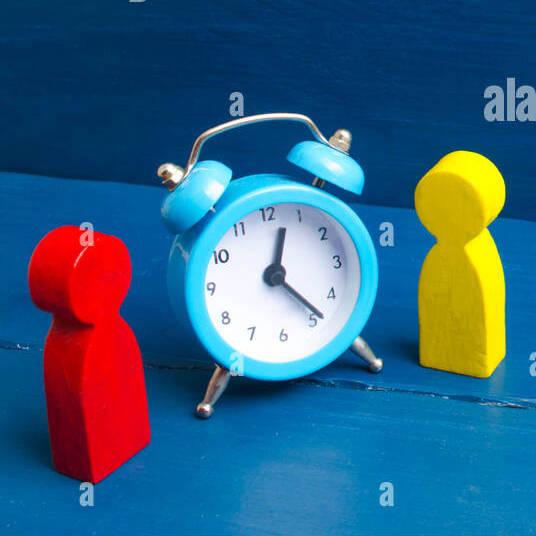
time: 12:23
